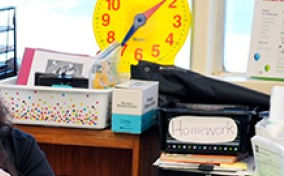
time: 7:08
